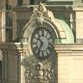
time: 10:35
